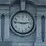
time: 2:46
